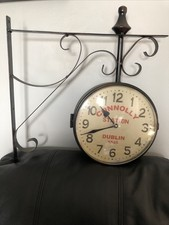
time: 10:41
